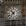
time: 10:37
